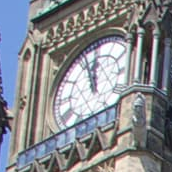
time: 11:56
